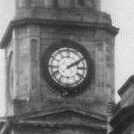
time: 2:09
